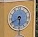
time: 5:40
